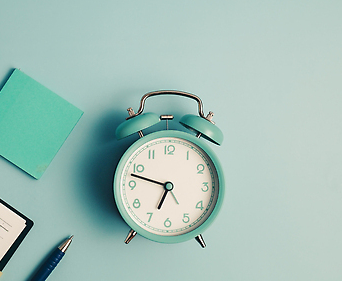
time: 6:47
